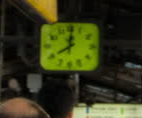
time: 8:00
